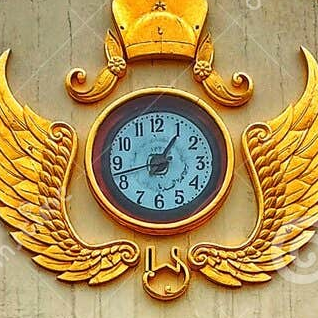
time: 1:05
